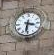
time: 3:31
